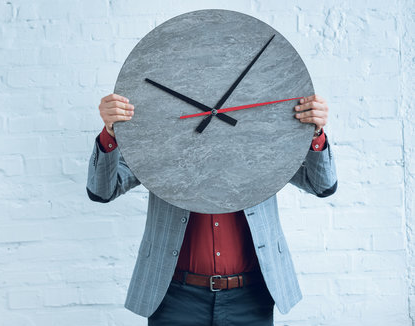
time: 10:07
